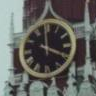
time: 3:59
